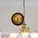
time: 6:32
